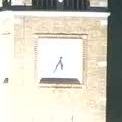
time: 5:34
